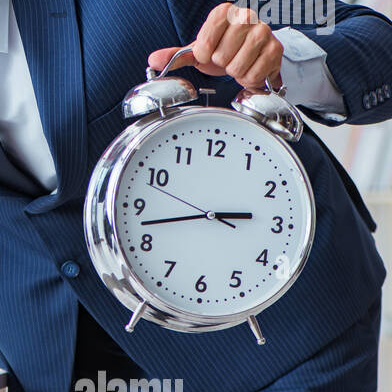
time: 2:42
